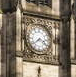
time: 3:38
